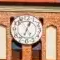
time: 12:33
